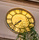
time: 7:37
